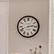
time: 2:41
